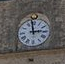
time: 2:58
